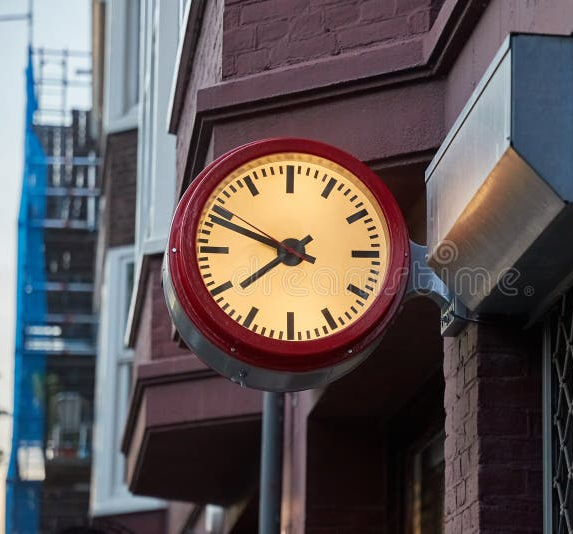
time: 7:48
